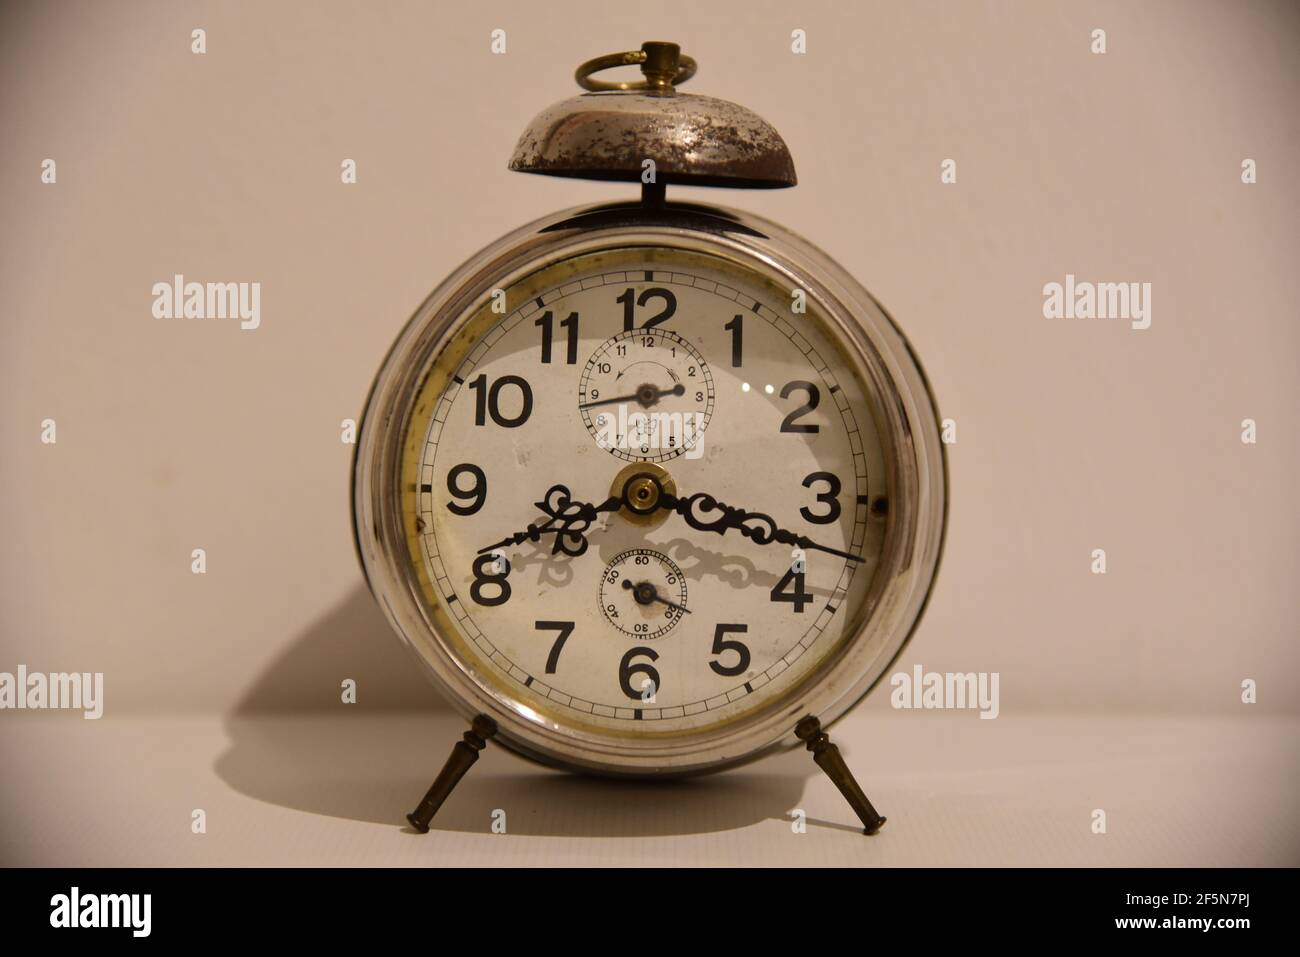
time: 8:17
